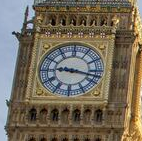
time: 9:17
